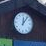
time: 12:06
